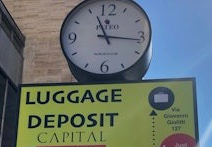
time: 11:16
